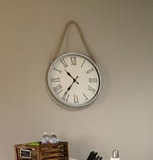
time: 10:35
